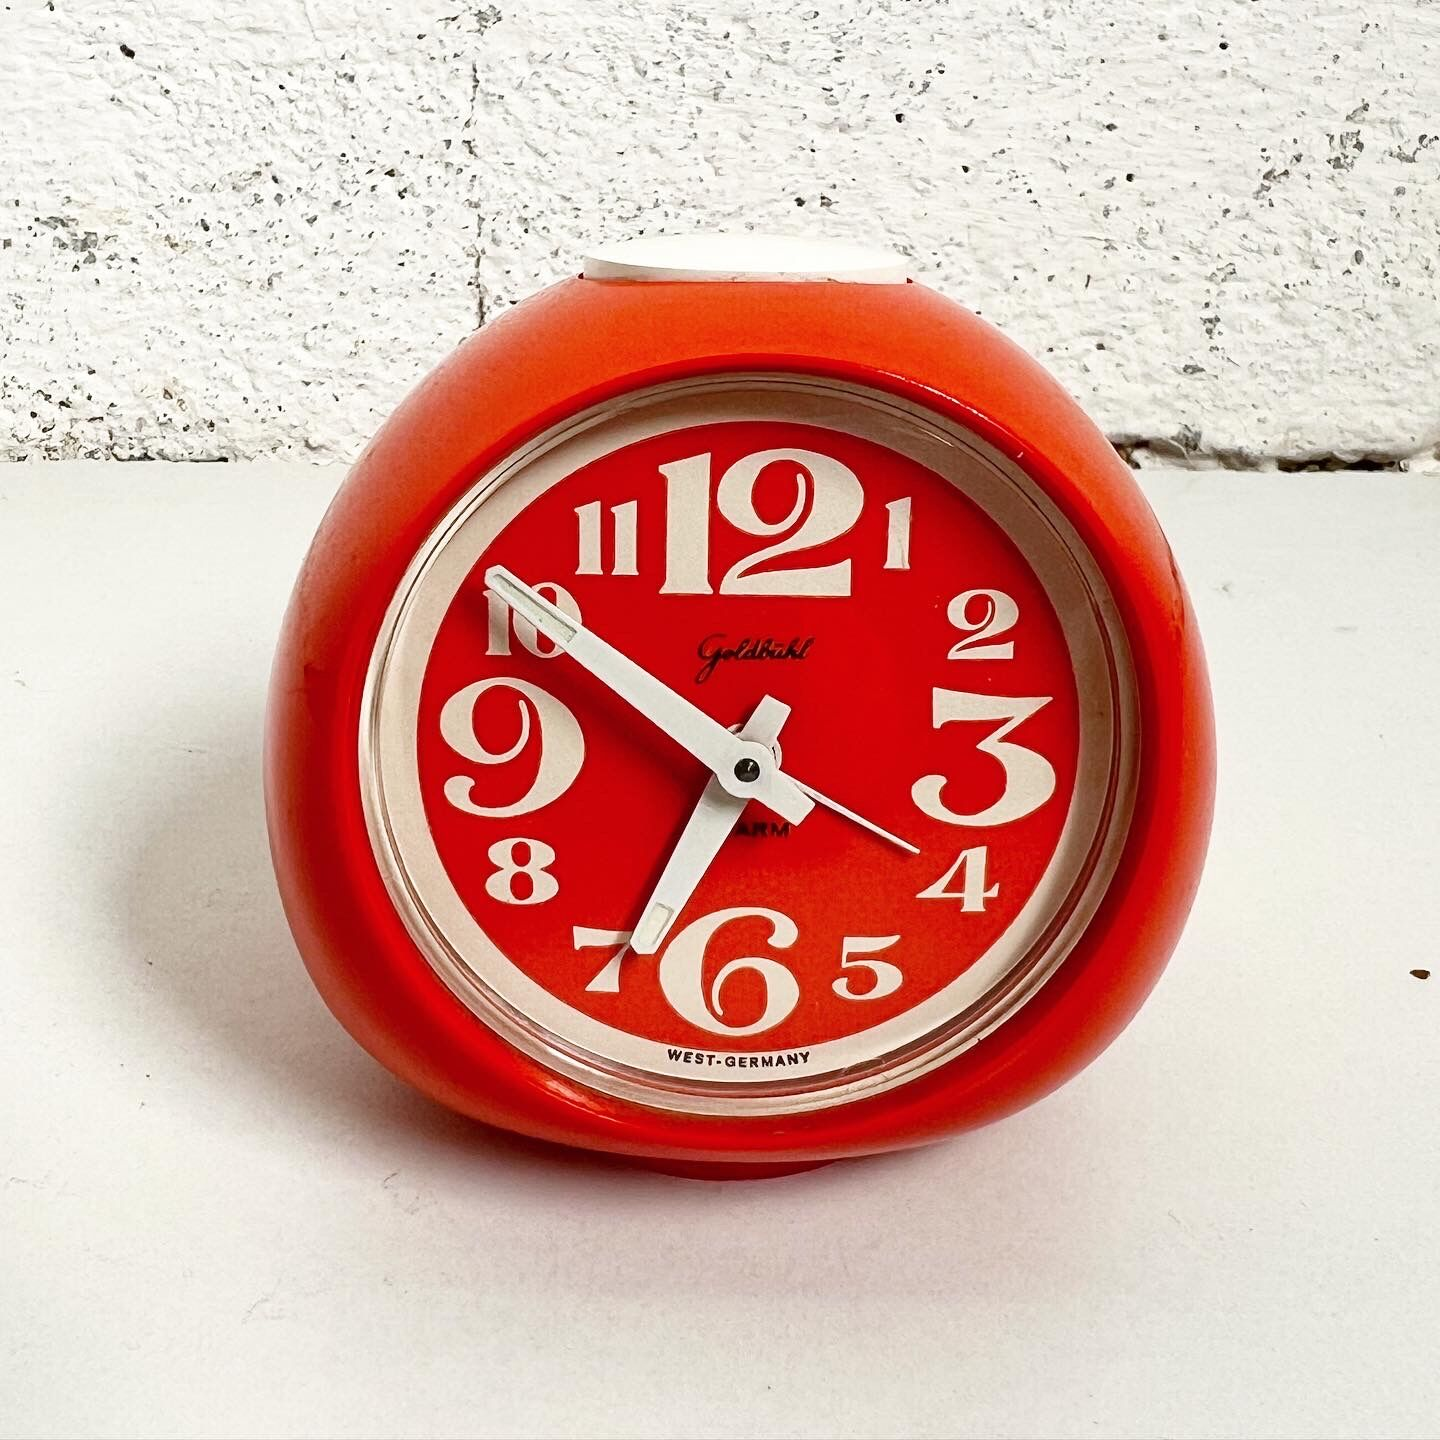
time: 6:50
